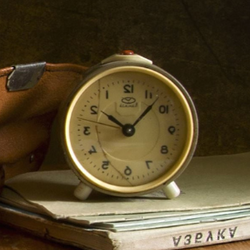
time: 10:07
